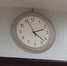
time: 2:22
